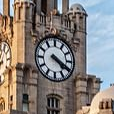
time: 4:19
